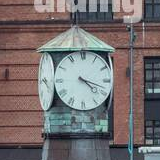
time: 4:17
